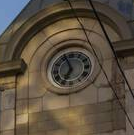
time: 6:56
